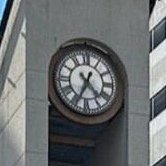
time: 4:34
